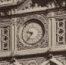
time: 9:36
